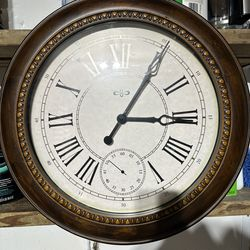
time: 3:05
